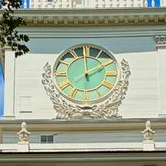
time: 1:59
